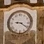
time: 9:20
